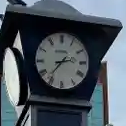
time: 2:36
